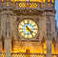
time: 4:23
